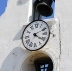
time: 4:10
